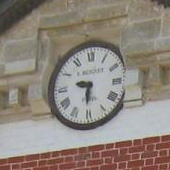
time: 9:30
